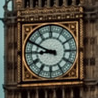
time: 8:49
